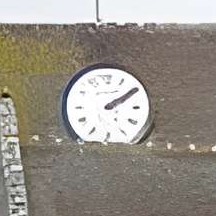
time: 2:09
